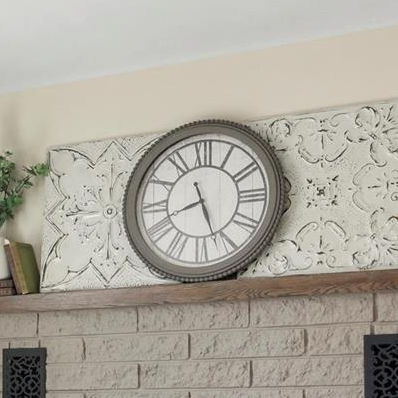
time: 8:26
